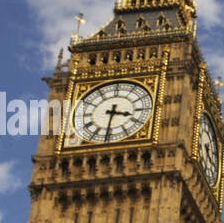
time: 3:31
